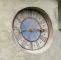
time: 8:14
